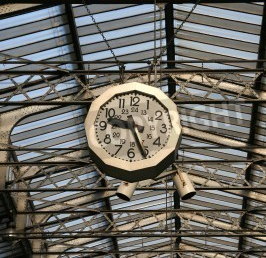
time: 9:26
